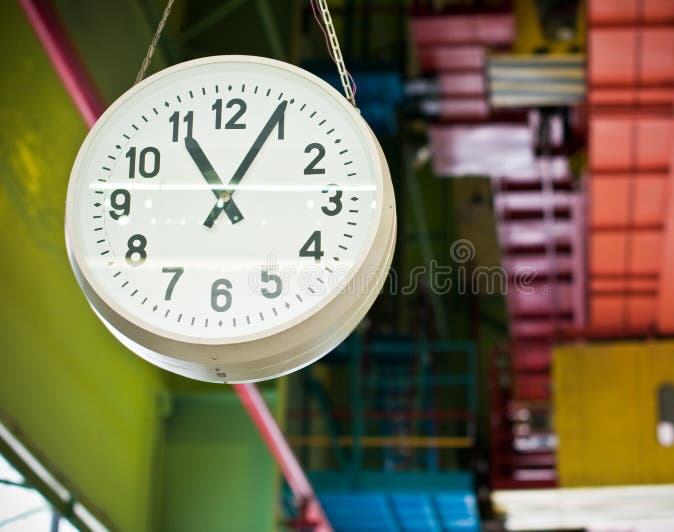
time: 11:04
